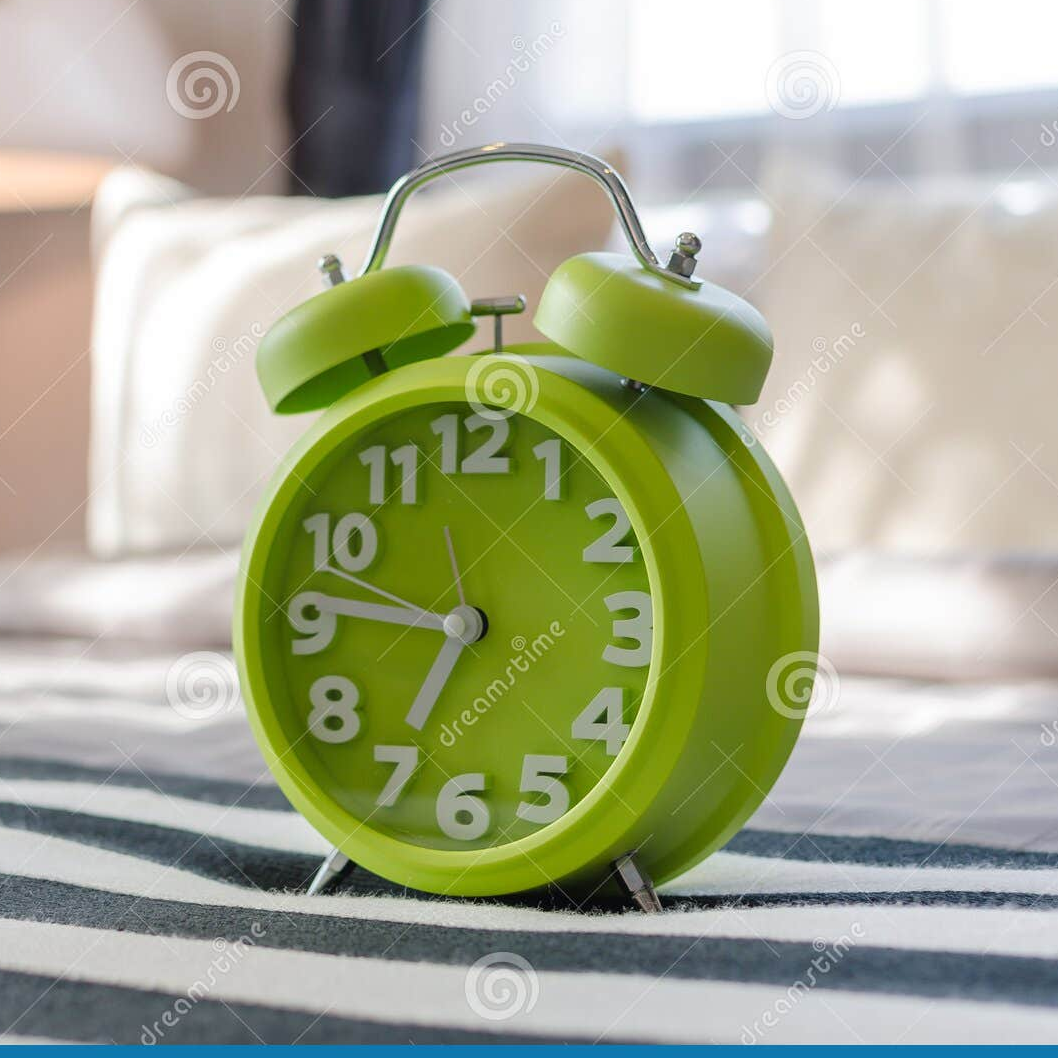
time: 6:46
